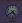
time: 4:38
